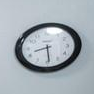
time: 8:29
